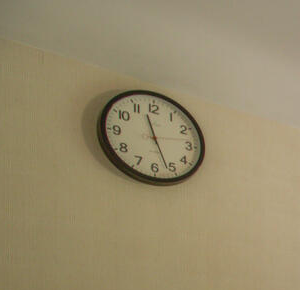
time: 11:26
